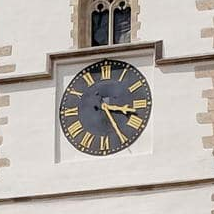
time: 3:24
